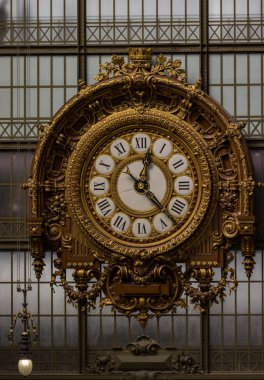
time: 12:23
